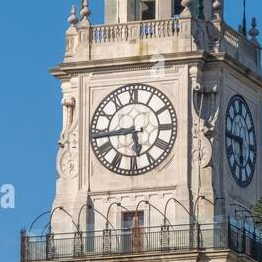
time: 5:43
